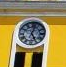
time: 5:02
